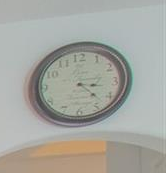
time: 3:22
